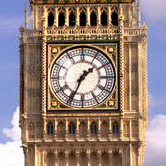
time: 1:34
